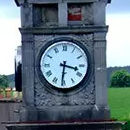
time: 3:31
